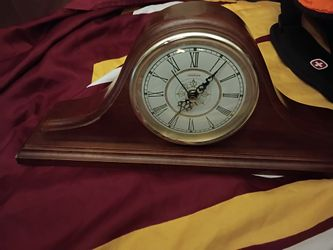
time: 7:07
